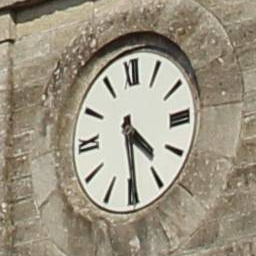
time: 4:29
